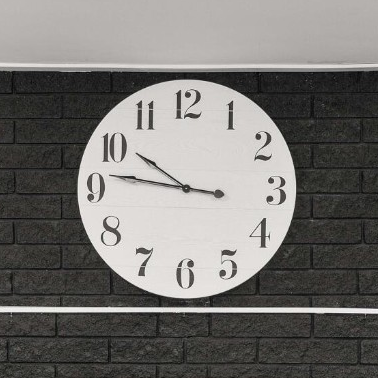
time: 9:46
